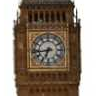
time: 6:43
